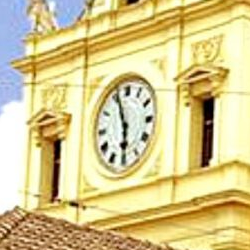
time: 5:56
